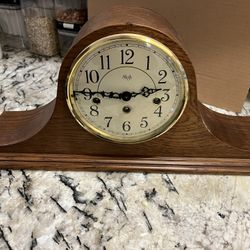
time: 2:45
